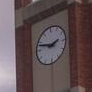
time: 2:48
